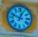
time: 12:48
